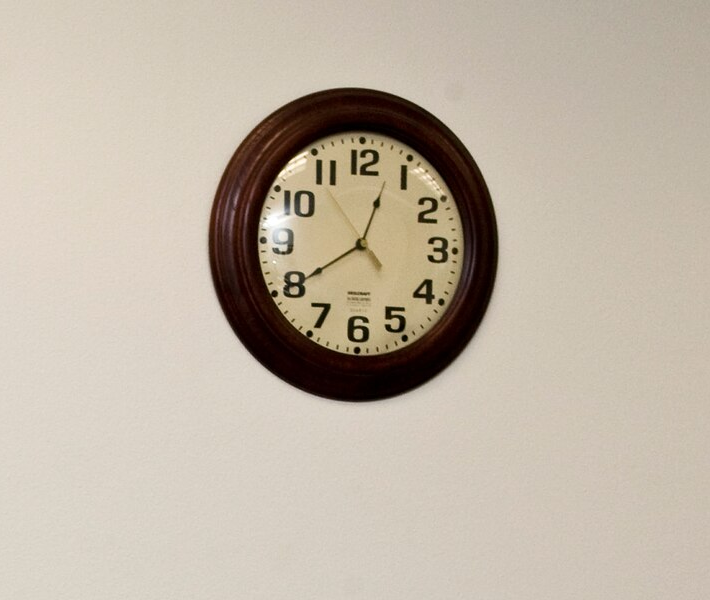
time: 12:39
